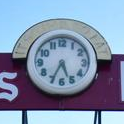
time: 5:34
